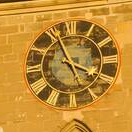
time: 3:56
